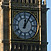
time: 12:05
